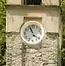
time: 11:21
